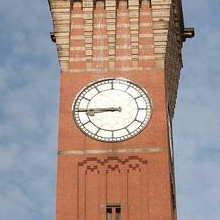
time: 8:45
